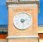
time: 2:27
